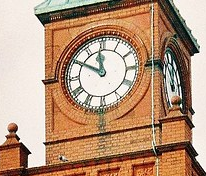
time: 11:50
